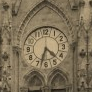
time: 4:33
